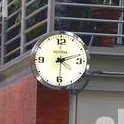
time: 2:30
